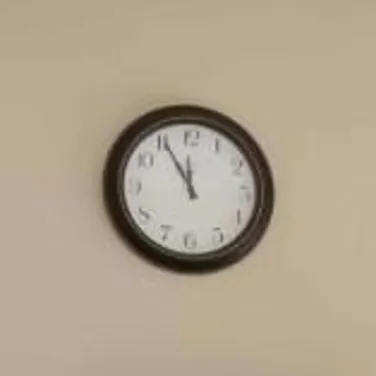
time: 11:55
